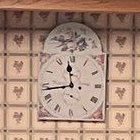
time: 11:43
